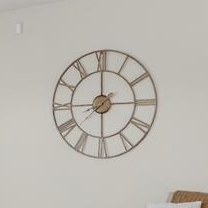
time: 8:00
